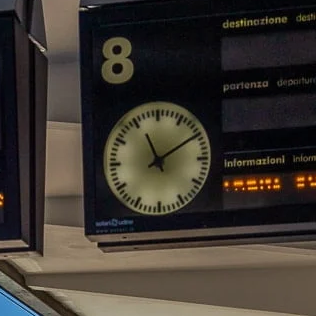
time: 11:09
